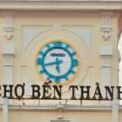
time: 5:42
